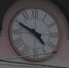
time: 4:49
